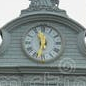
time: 11:32
